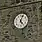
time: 5:03
